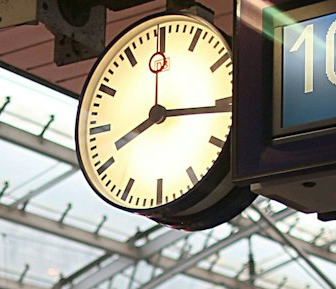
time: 8:16
